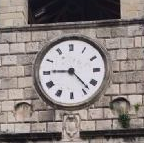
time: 4:45
